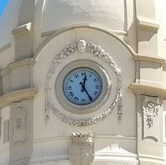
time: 12:24
